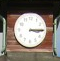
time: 3:14
